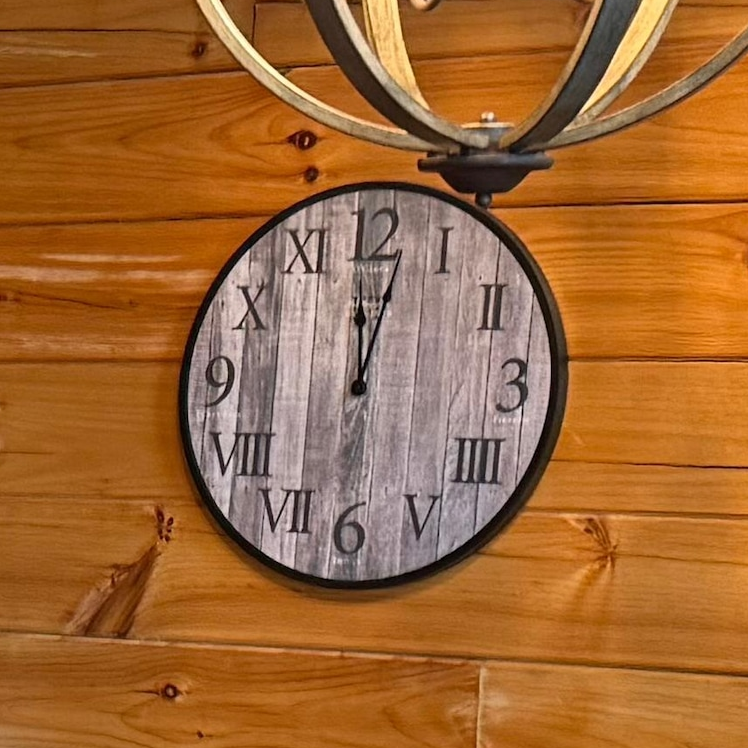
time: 12:02
